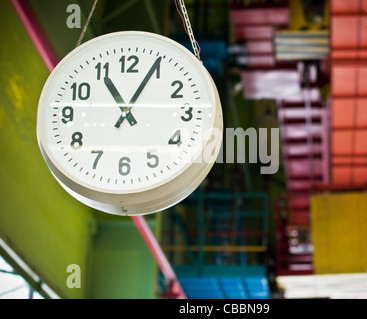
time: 11:04
